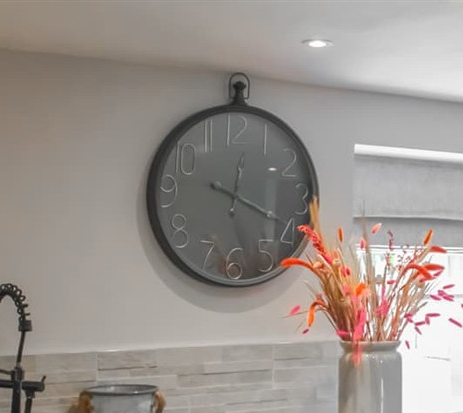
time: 12:19
